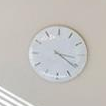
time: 3:21
